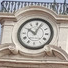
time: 10:03
